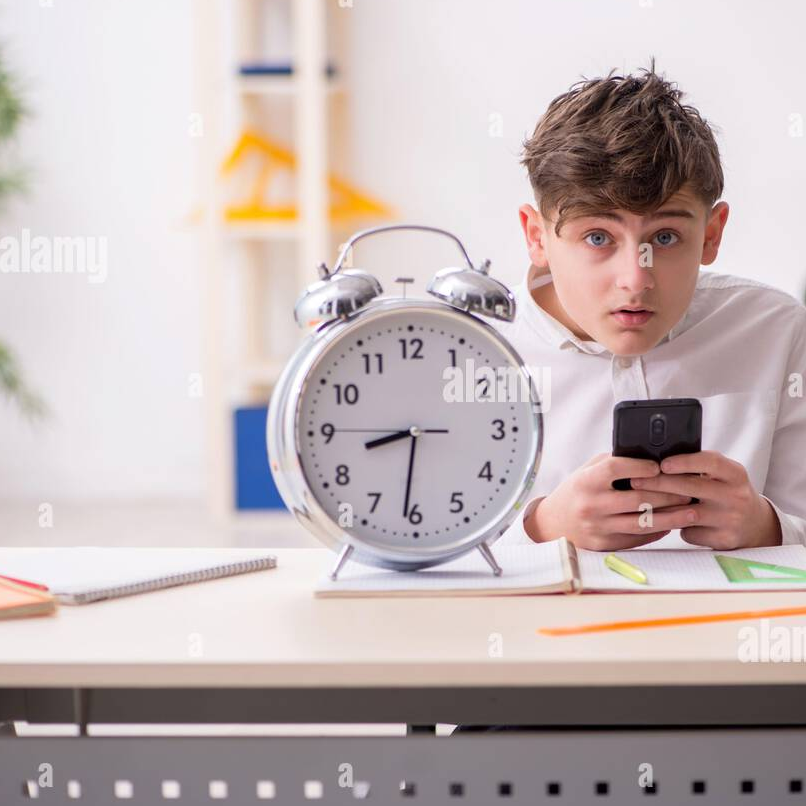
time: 8:31
